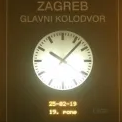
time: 10:07
